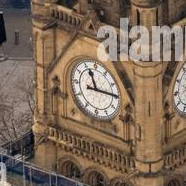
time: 11:14
